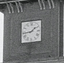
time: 1:43
